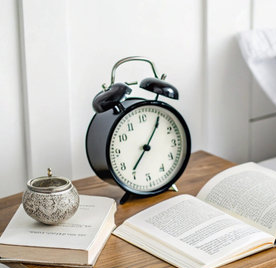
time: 7:05
